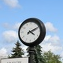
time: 4:10
